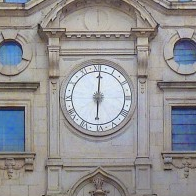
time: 6:00
